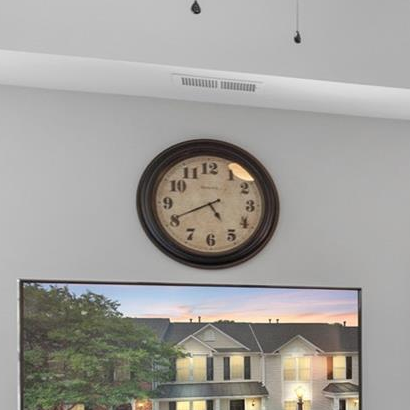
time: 4:40
